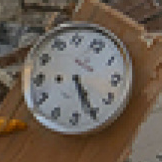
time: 5:25
